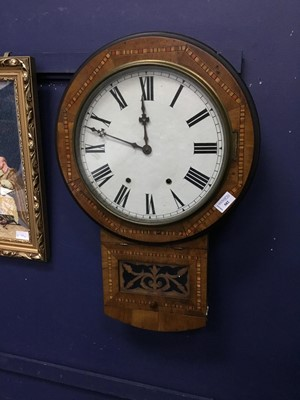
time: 11:48
